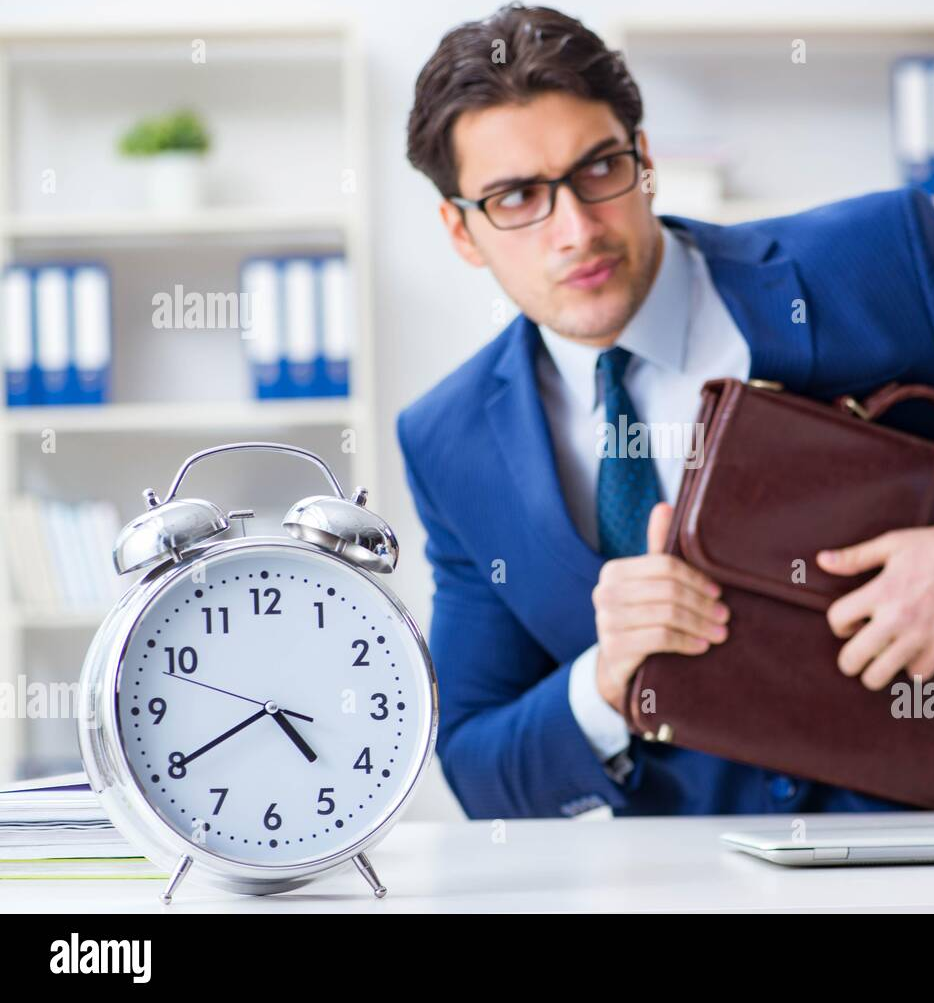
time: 4:40
